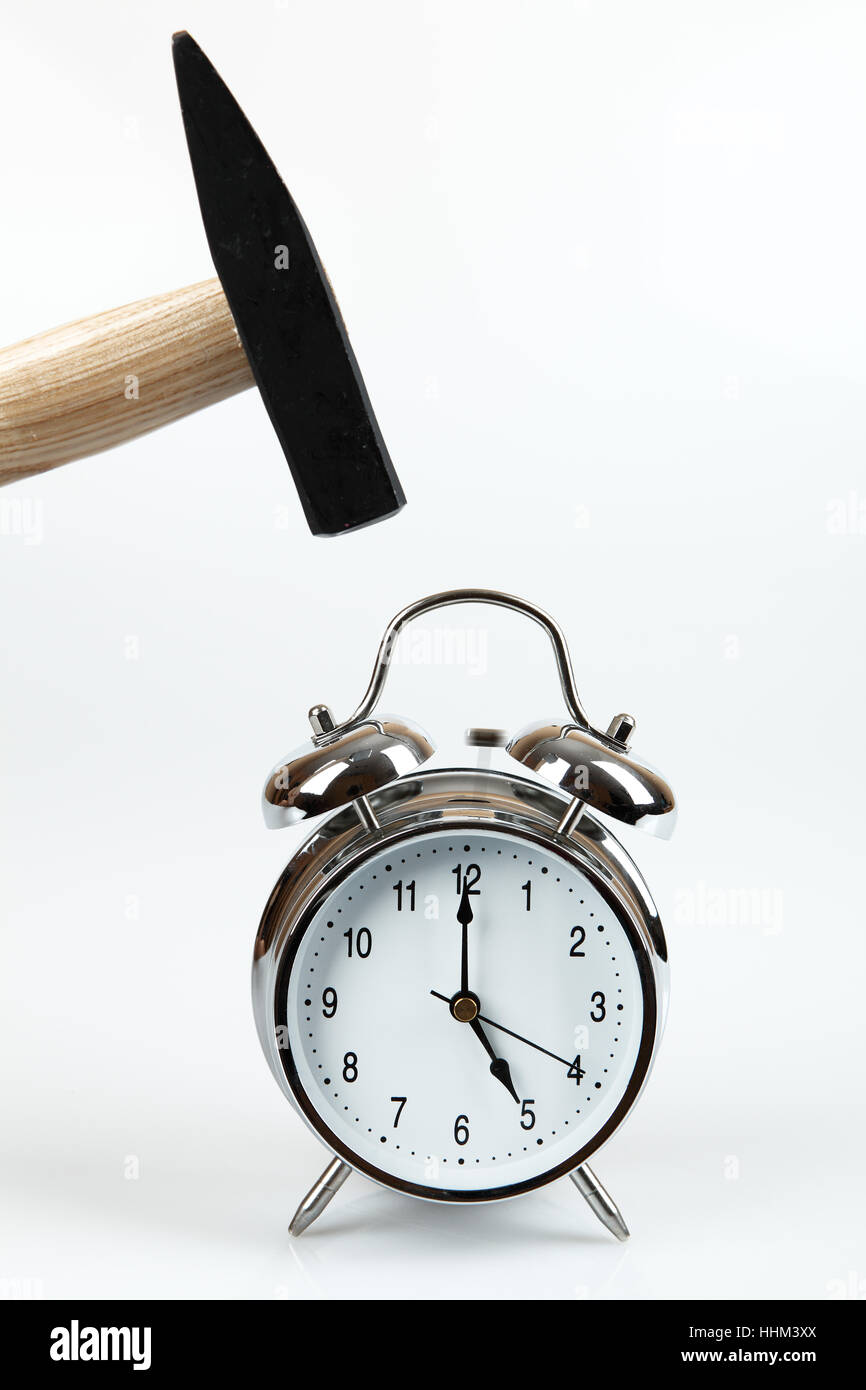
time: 5:00
